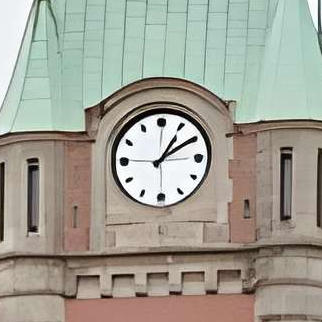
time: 1:09
